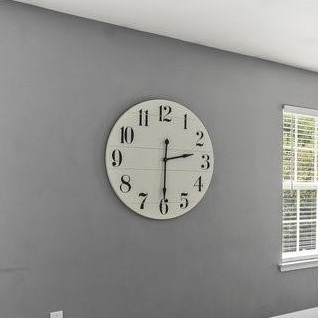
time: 2:29
